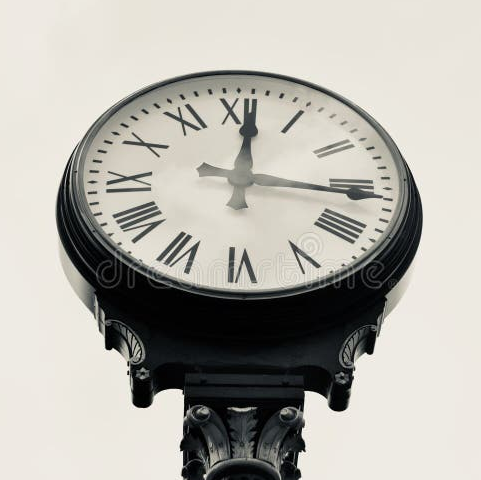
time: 12:15
